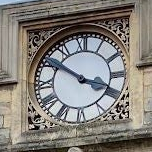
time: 3:50
